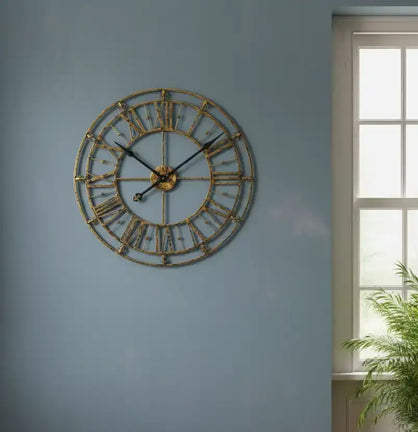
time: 10:08
